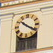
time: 10:20
